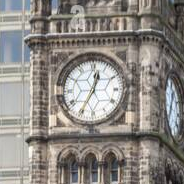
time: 12:34
